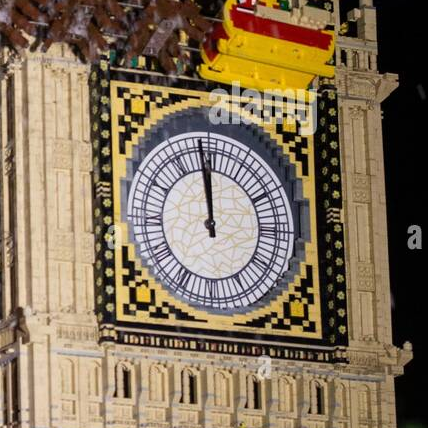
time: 11:58
